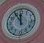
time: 11:54
